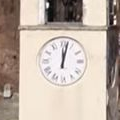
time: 12:02
